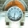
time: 6:32
